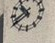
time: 10:39
